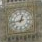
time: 12:43
